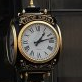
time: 1:12
